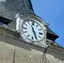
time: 11:26
